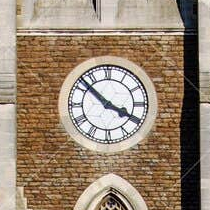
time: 3:52
